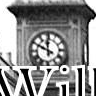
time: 11:49
